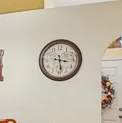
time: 3:28
